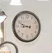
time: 8:48
